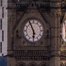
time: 5:55
